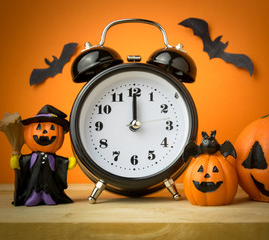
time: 12:00
